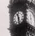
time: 11:28
